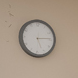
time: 5:14
